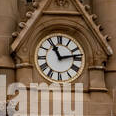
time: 11:13
